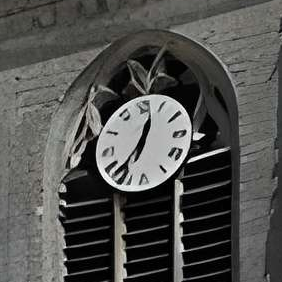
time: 12:36
